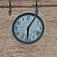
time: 6:05
